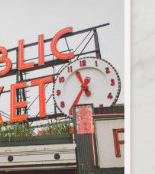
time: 11:36
